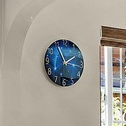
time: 1:55
